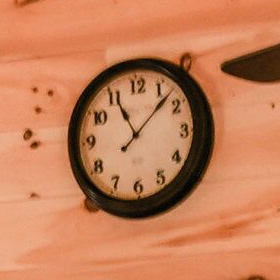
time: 11:07
